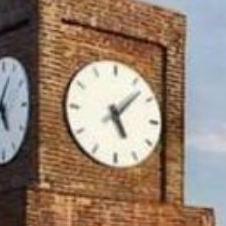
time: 5:07
